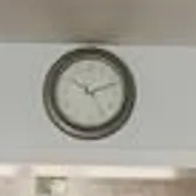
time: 10:11
